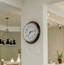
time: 7:12
